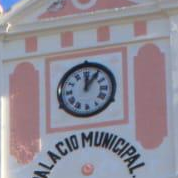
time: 12:05
